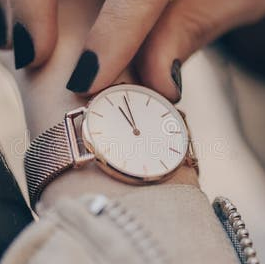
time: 10:58
